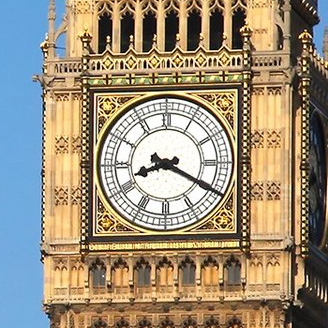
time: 8:19
